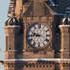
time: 9:44
